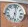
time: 6:02
